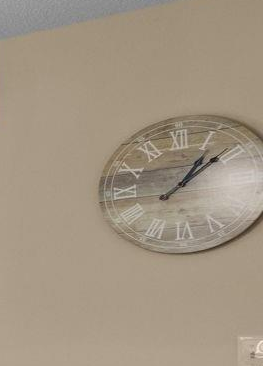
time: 1:08
